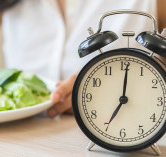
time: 7:00
